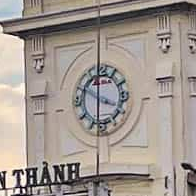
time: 5:58
